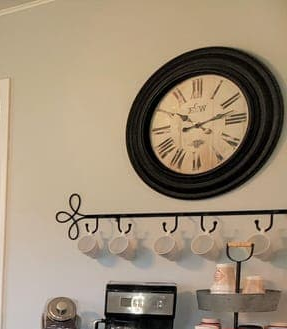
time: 10:12
